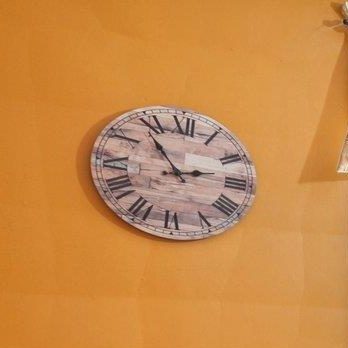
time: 2:53
